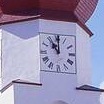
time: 11:00
